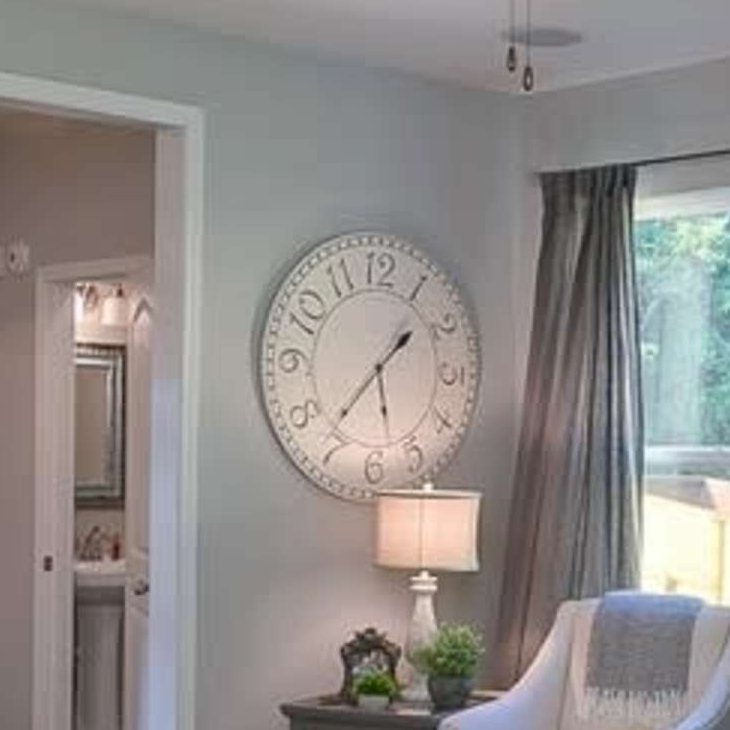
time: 1:36
